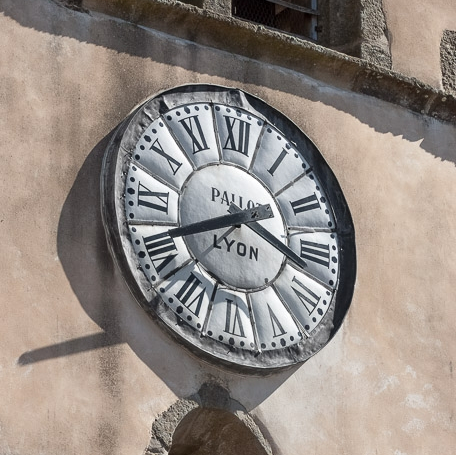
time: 3:40
